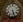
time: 5:26
